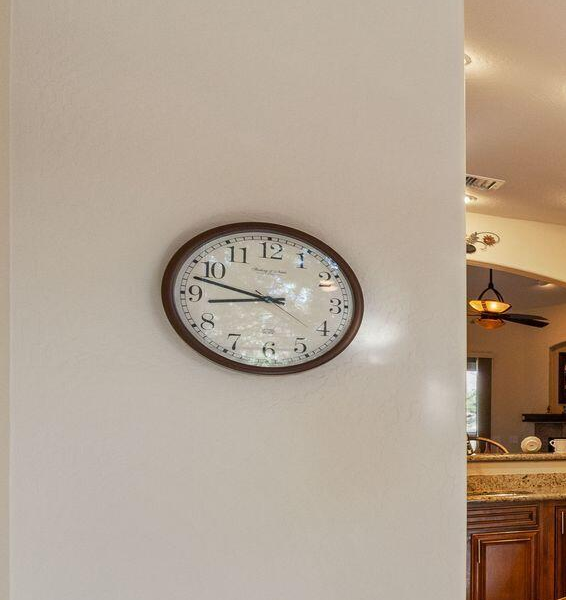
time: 8:47
